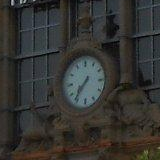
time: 7:36
